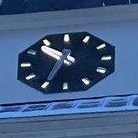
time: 10:34
